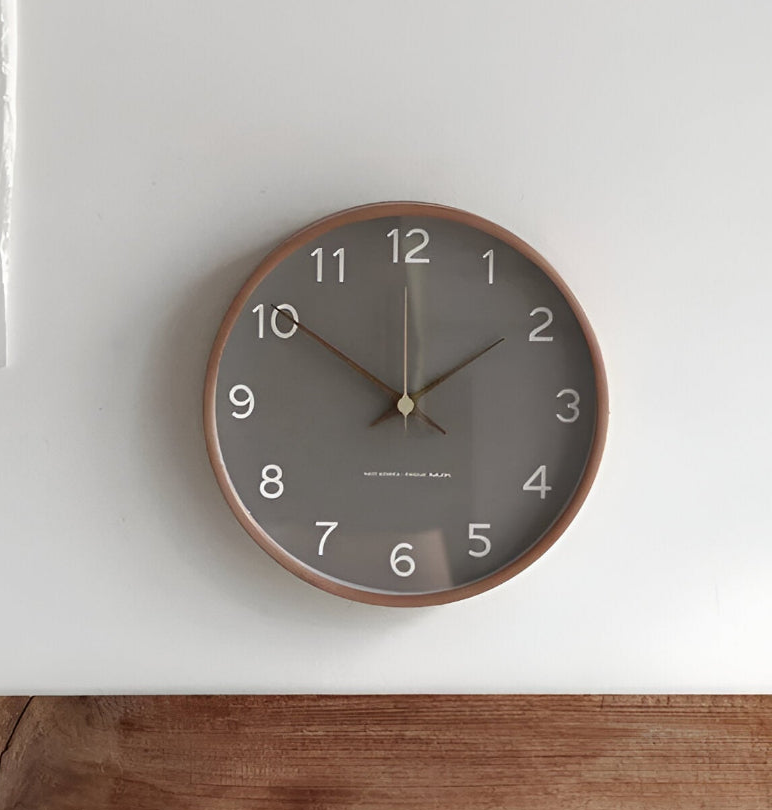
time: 1:50
